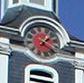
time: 1:20
